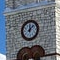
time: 12:07
